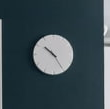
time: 10:24
